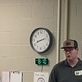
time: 8:12
